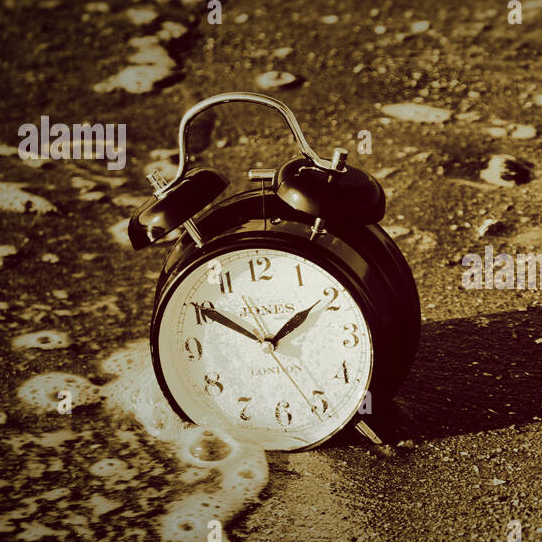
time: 1:50
